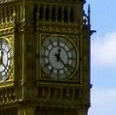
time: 12:22
